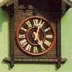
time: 5:03
